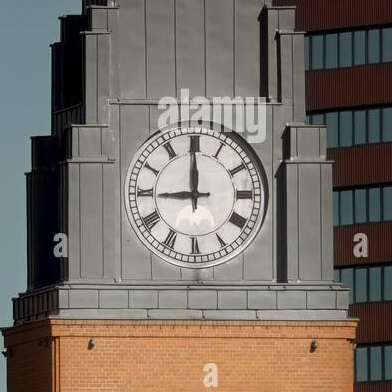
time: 8:59
